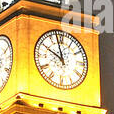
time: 9:57
